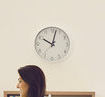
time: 10:02
